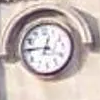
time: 12:45
